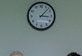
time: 3:07
